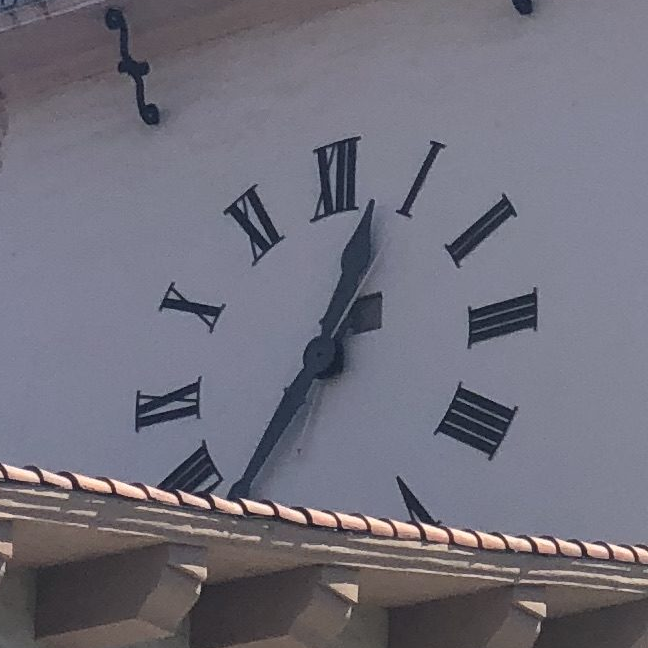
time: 12:34
